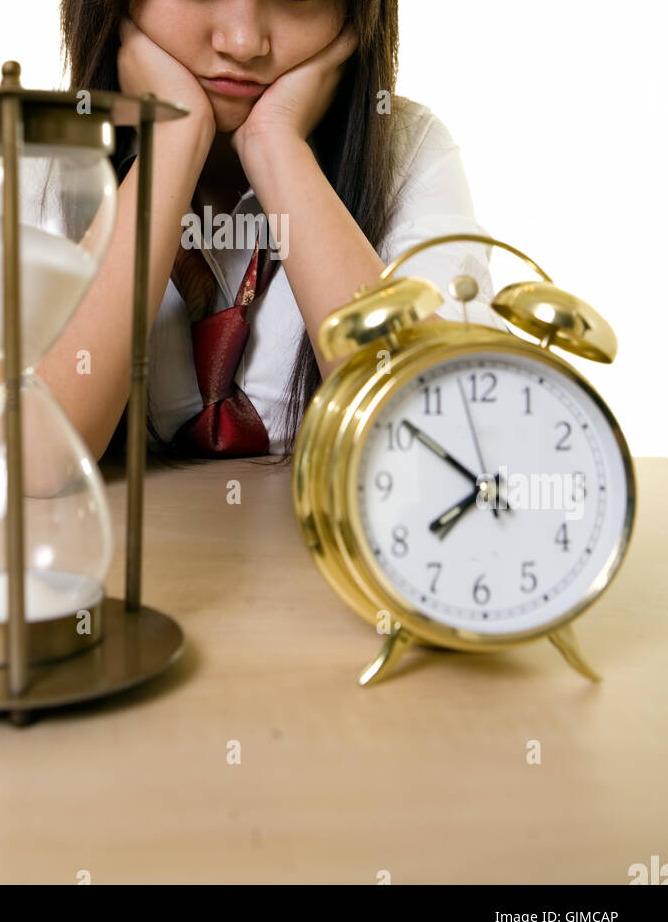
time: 7:51
